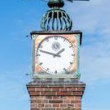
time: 1:47
